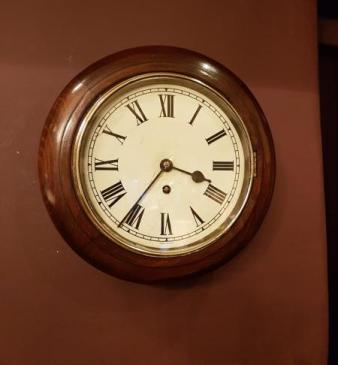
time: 3:36
